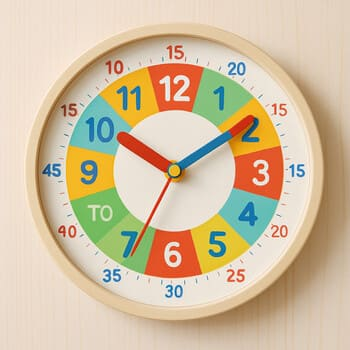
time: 10:09
